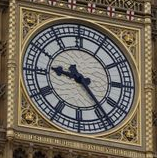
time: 9:23
